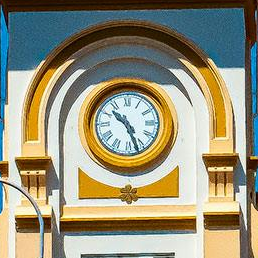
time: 10:26
